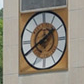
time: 1:40
